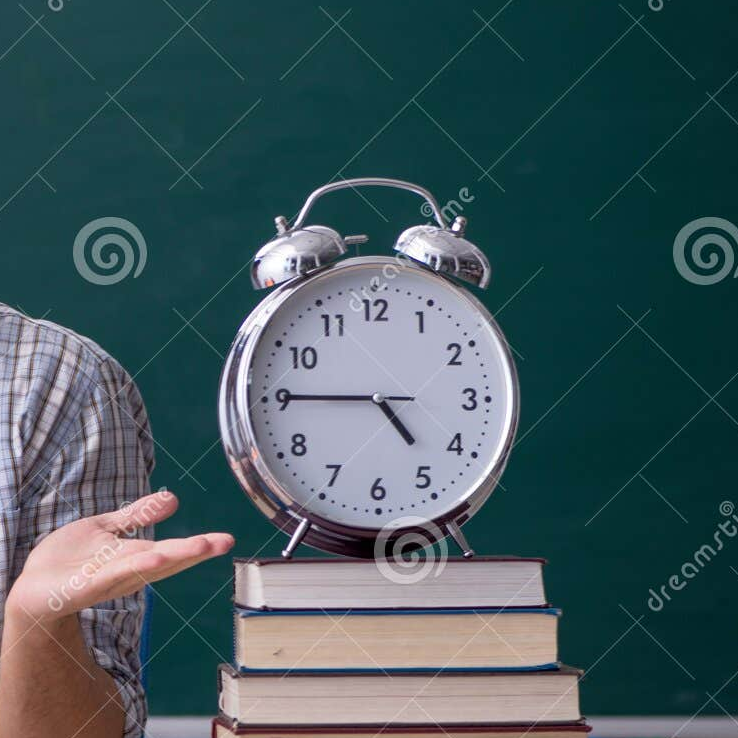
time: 4:45
